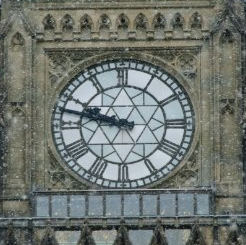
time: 9:47
